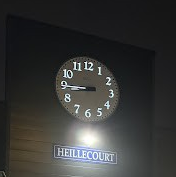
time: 8:44
